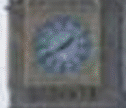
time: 1:40
